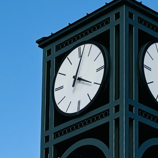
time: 4:02
